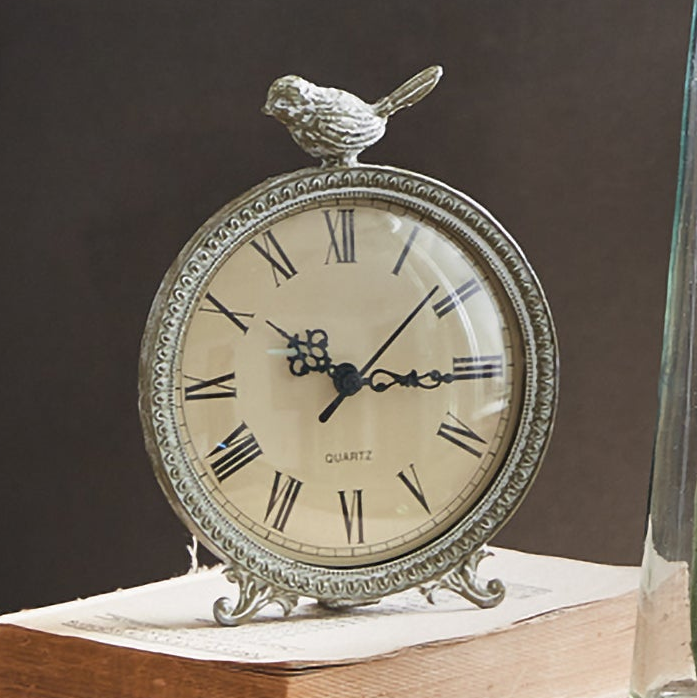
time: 10:15
